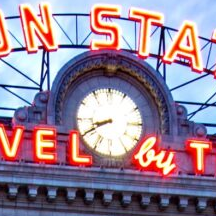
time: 8:40
